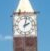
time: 2:02
